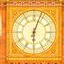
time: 6:03
